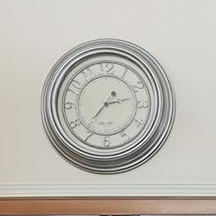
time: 2:36
